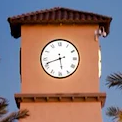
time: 5:41
